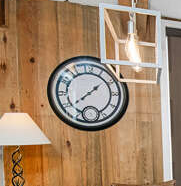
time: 1:38
